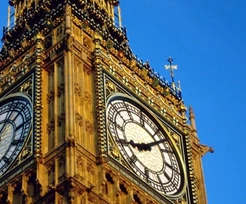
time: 8:07
